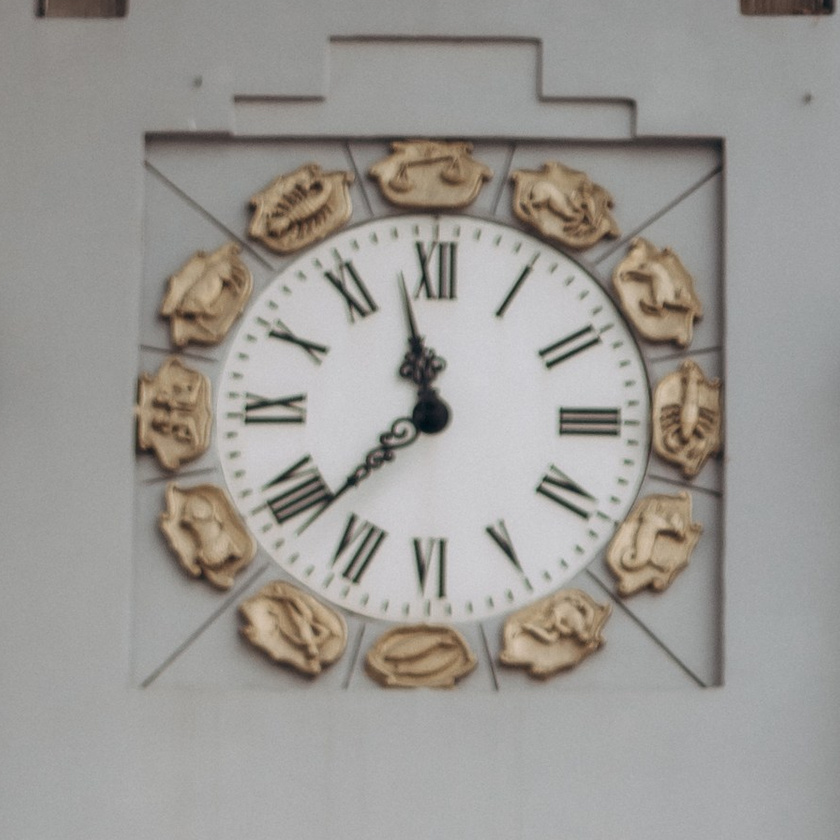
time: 11:38
